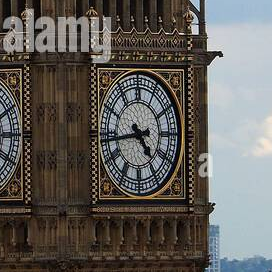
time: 4:43
